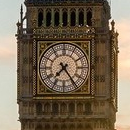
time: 7:24
